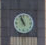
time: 10:56
